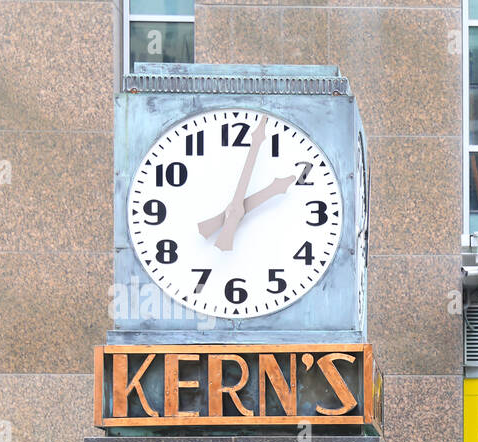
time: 2:03
